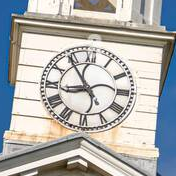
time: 8:54
